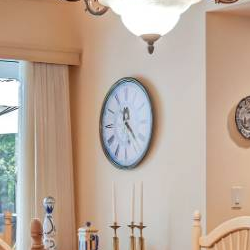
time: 11:22
